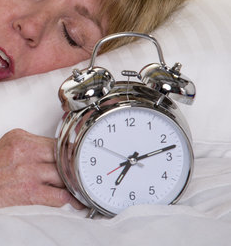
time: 7:12
